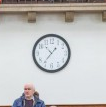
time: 1:36
